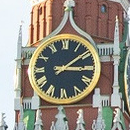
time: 3:08
